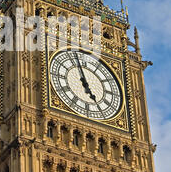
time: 4:57
